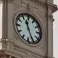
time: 11:25
